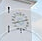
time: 8:12
